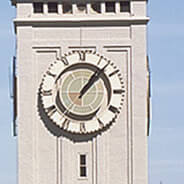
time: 1:07
